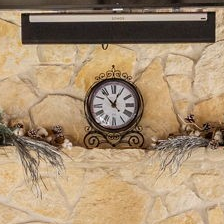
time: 12:53
